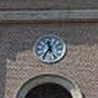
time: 11:36
